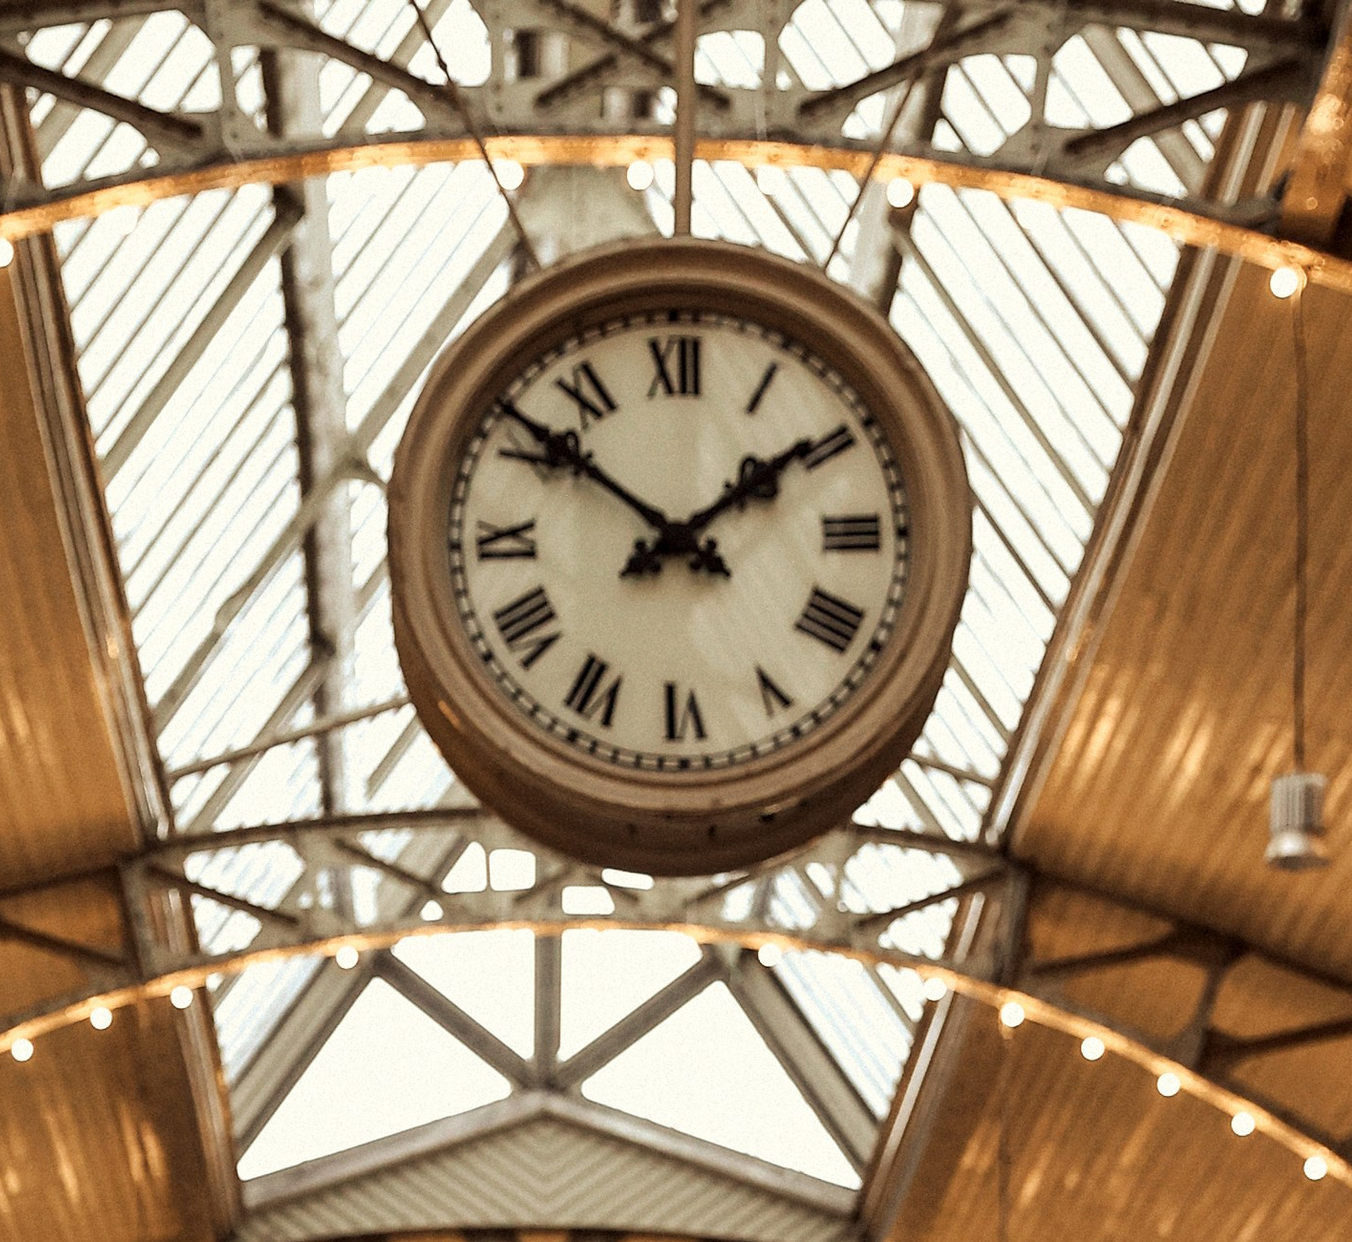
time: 1:51
